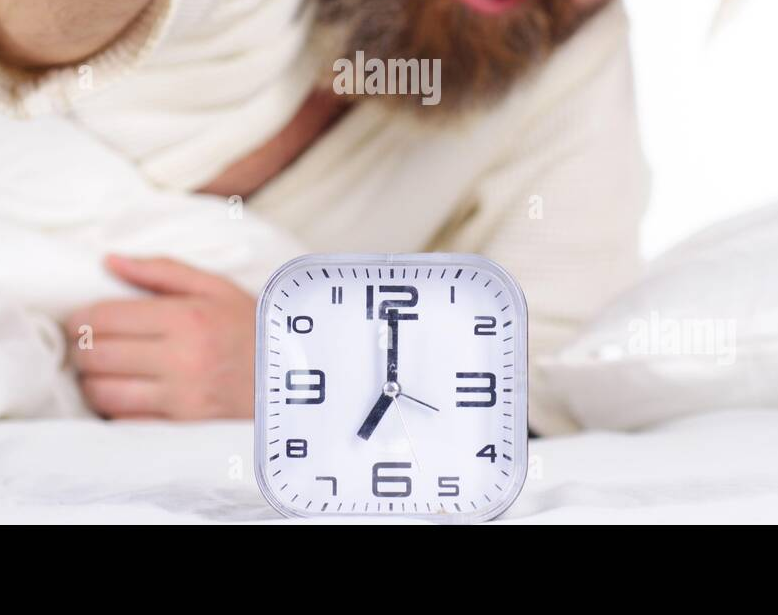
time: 7:00
